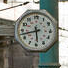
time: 5:42
